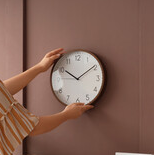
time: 10:09
